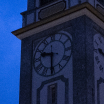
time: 9:30
